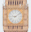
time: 9:09
